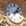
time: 2:06
